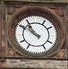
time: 10:50
